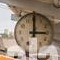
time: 3:00
